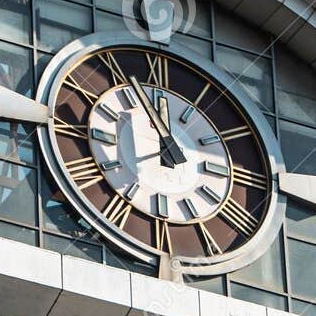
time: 11:56
